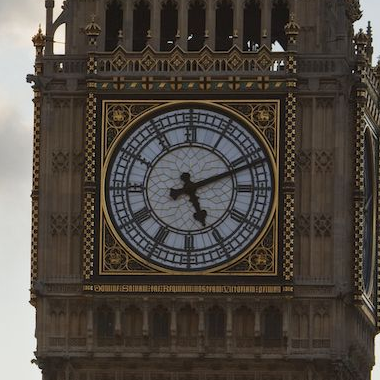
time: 5:11
